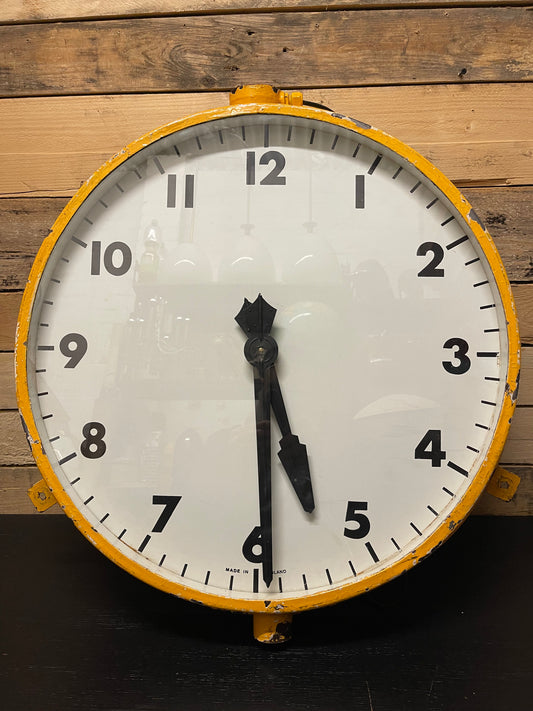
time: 5:29
